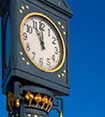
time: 10:59
